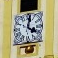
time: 4:02
